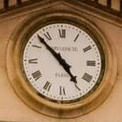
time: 4:52
